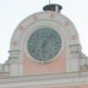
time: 6:06
